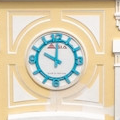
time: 10:00
